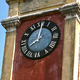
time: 8:01
